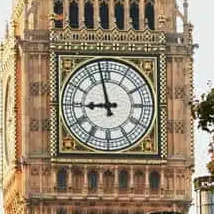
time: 8:57
